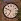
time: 6:48
